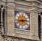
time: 2:42
